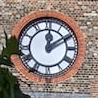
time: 12:09
